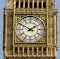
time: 1:50
